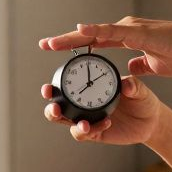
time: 11:59
